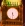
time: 5:30
